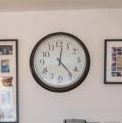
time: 12:23
